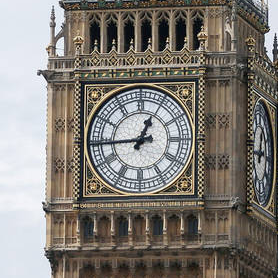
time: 12:44
